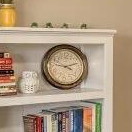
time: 9:11
